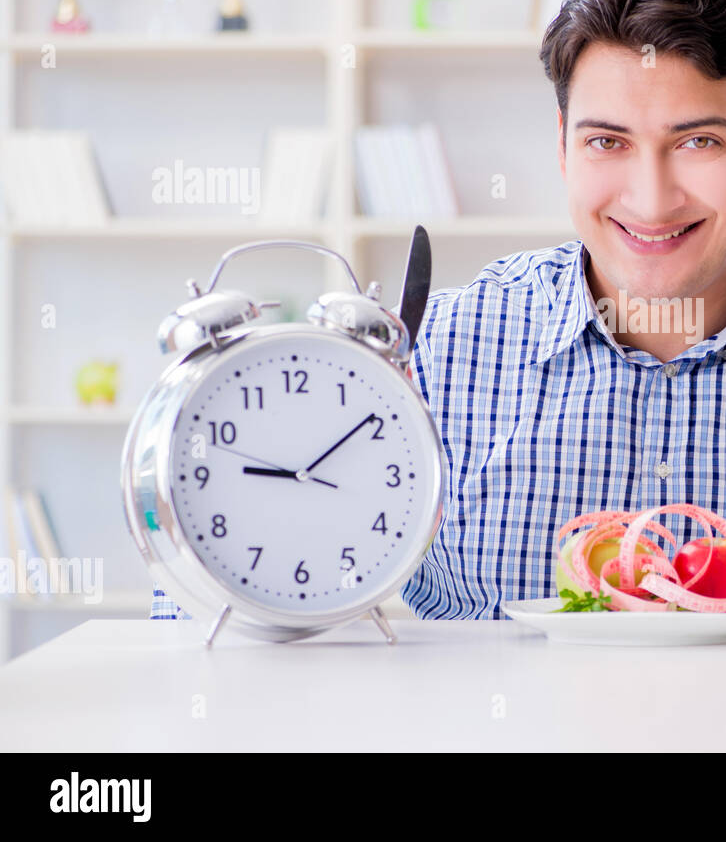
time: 9:09
